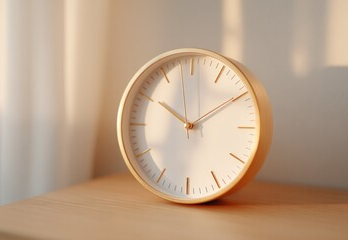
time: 10:09
